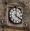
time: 4:01
